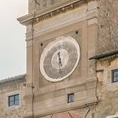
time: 11:28
